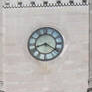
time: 8:20
